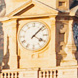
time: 4:07
